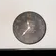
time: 11:37
